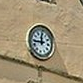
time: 11:43
